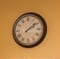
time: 2:08
